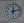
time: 12:12
